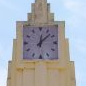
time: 12:07
